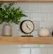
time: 11:22
